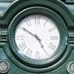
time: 4:50
